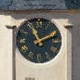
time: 11:10
